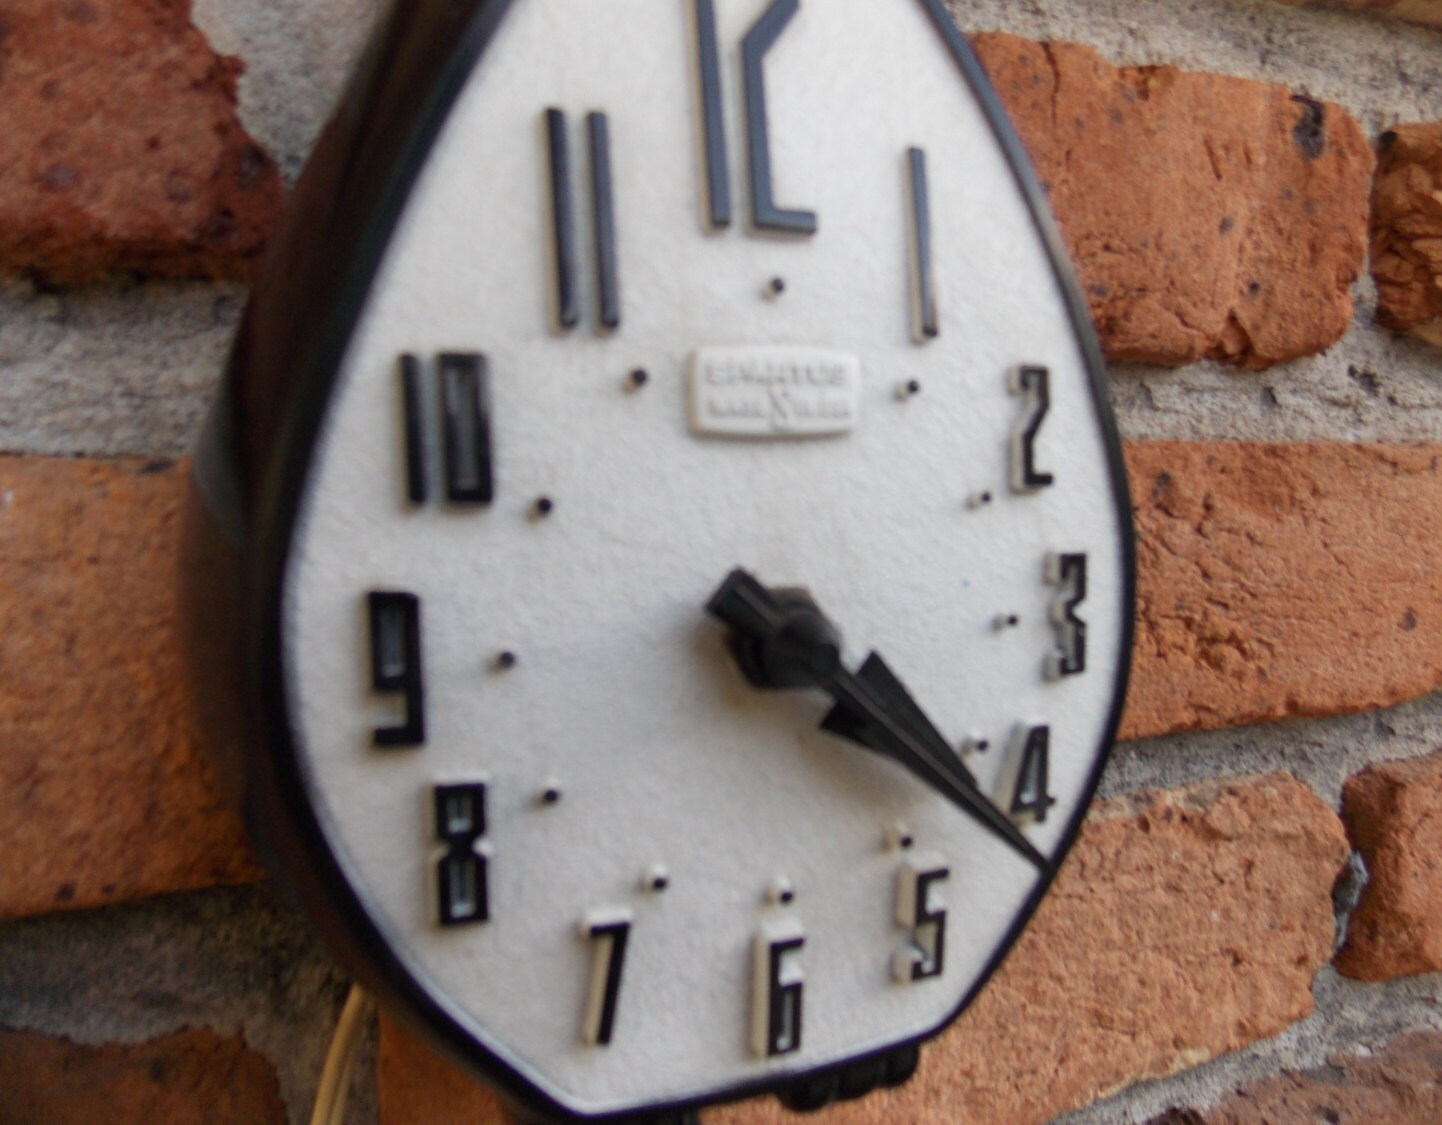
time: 4:21
